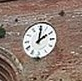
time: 2:01
